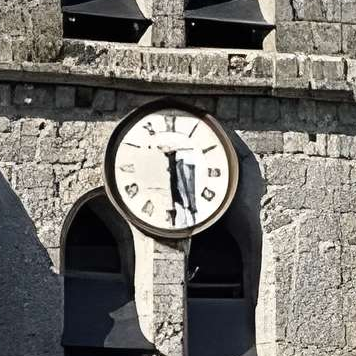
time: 5:29
